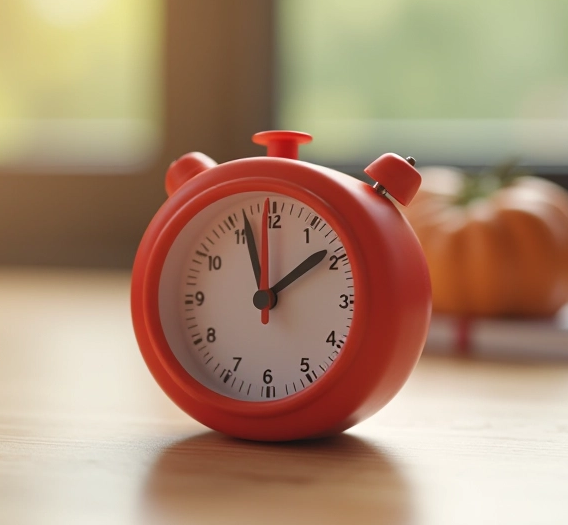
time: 1:56
